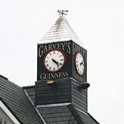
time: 4:20
